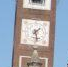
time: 1:28
